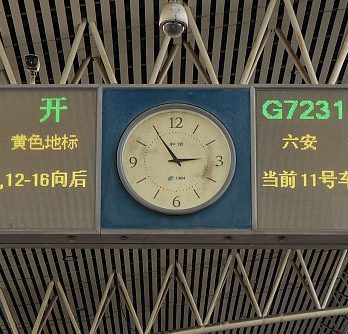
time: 2:54
